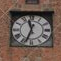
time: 11:33
